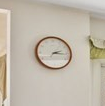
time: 2:16
